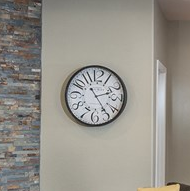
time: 2:24
